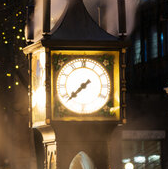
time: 7:37
